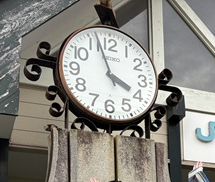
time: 3:56
